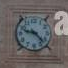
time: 9:22
